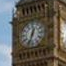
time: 12:33
